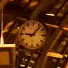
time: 9:07
